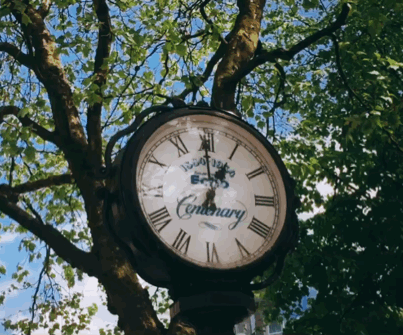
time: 12:59
